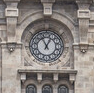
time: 12:55
